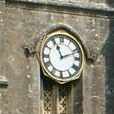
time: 11:11
